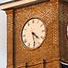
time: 4:28
